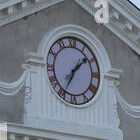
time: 1:34
